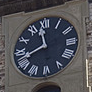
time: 11:41
